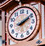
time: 2:09
